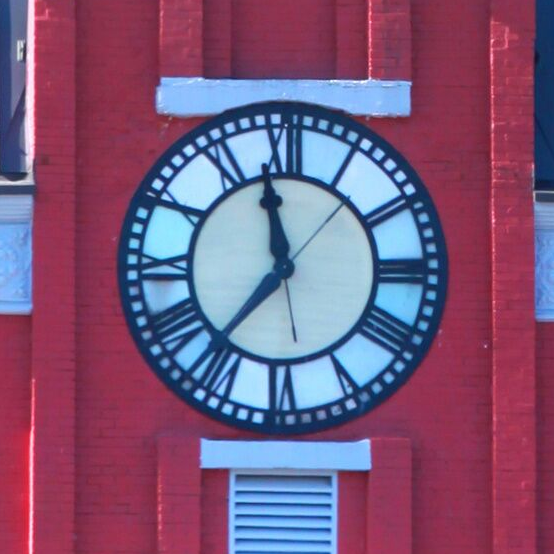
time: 11:36
